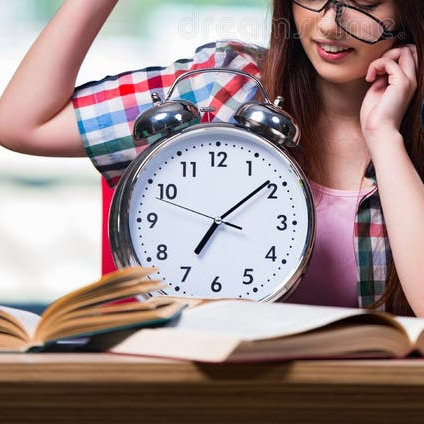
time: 7:08
